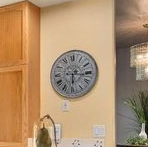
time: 6:15
